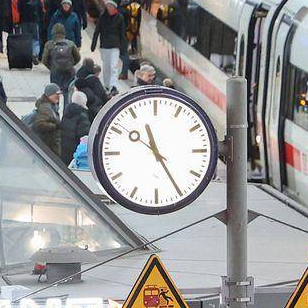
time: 11:24
